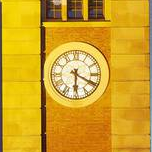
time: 6:19
